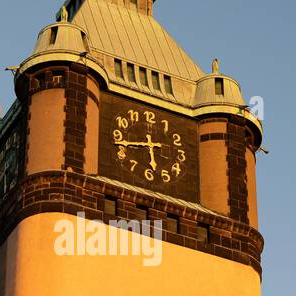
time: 5:42
